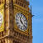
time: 11:21
